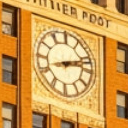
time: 2:12
